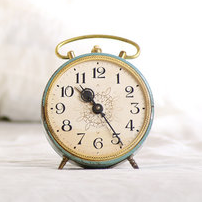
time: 10:24
